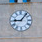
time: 9:07
